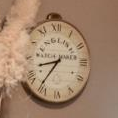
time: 8:36
